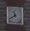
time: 11:40
